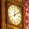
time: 12:09
